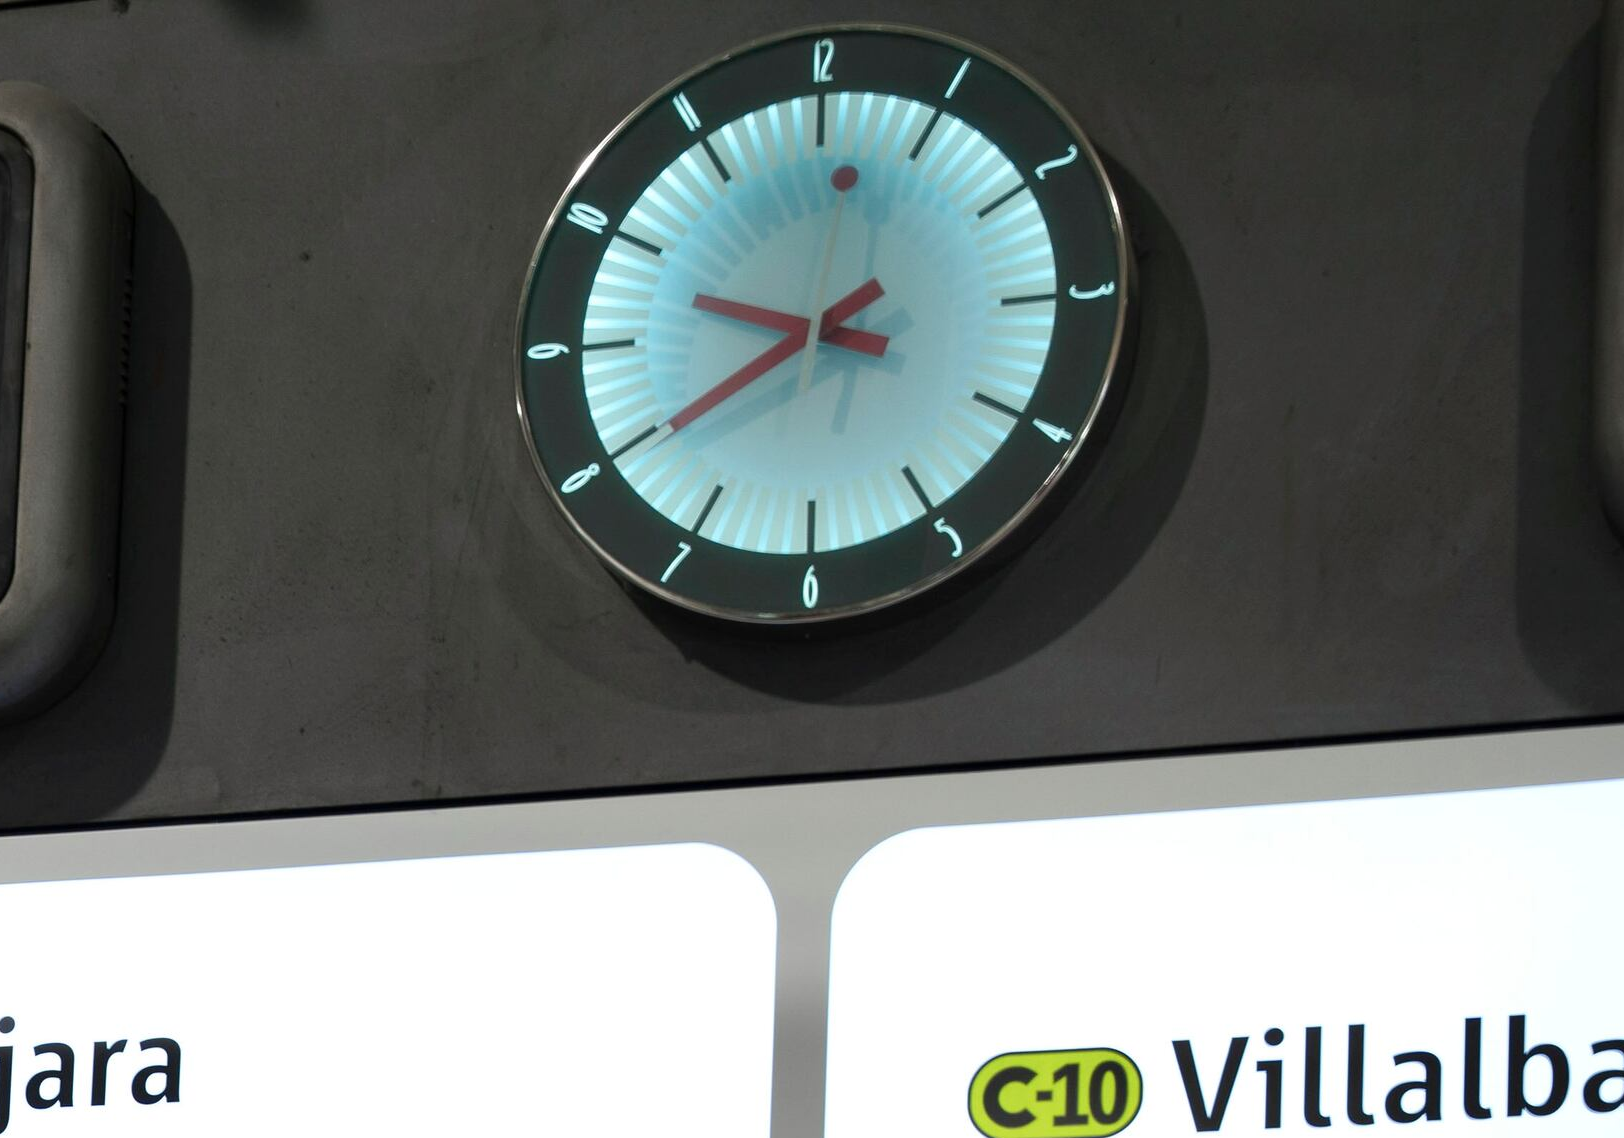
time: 9:40
